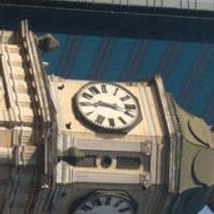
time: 3:45
